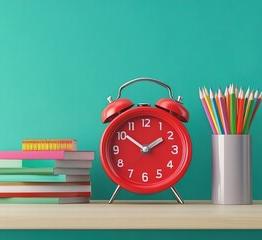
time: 1:51
